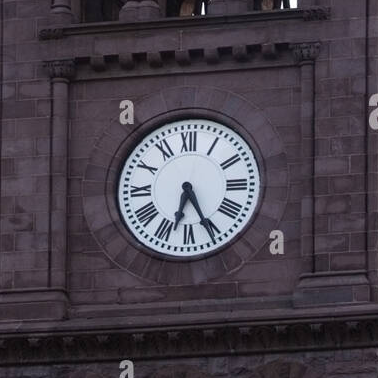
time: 6:25
